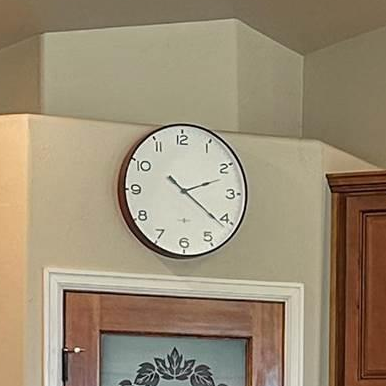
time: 2:21
